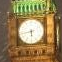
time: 5:43
